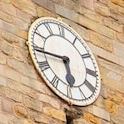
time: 5:44
